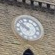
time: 9:51
